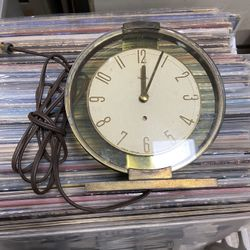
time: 12:03
